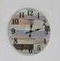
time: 12:12
